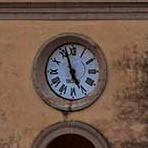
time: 4:57
